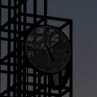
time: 5:09
